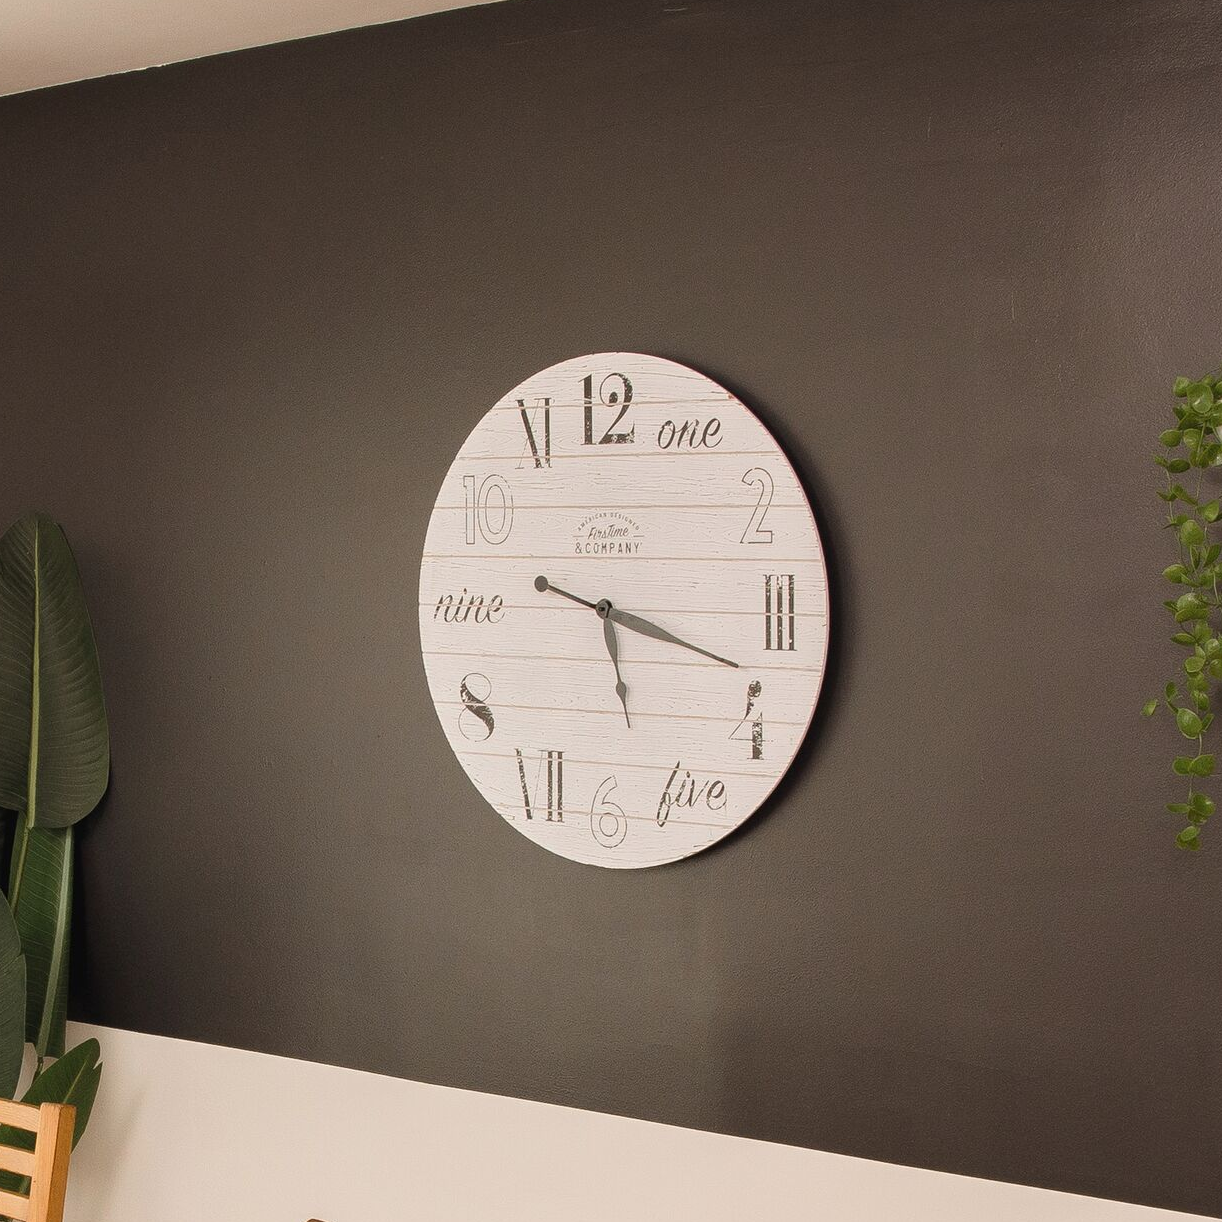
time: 5:18
